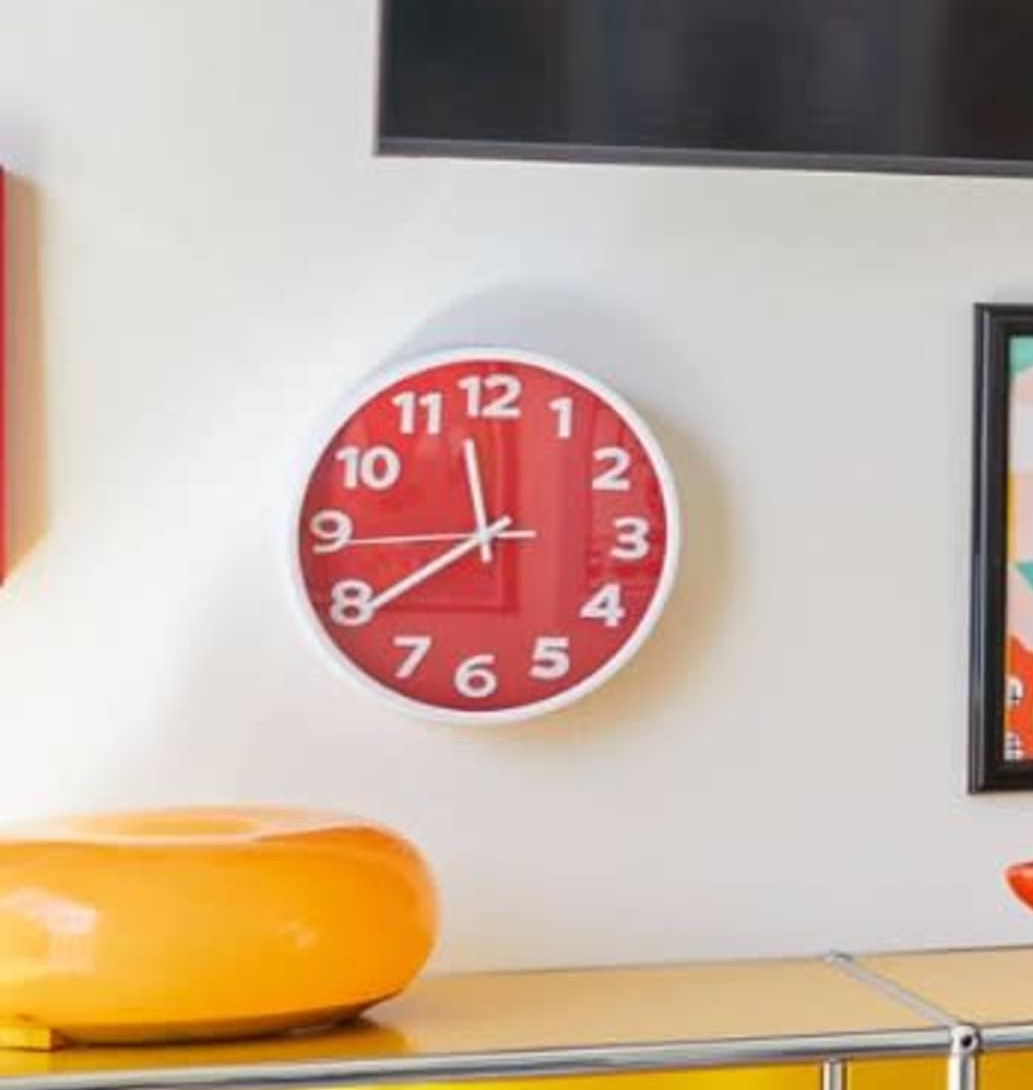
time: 11:39
